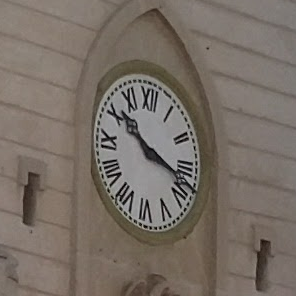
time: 10:17
